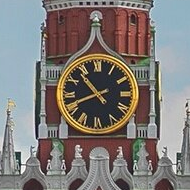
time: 10:41
